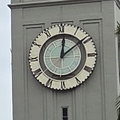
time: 12:09
